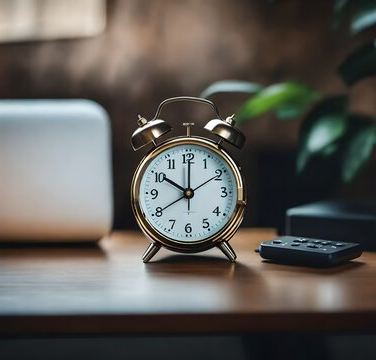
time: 10:00
